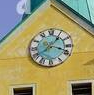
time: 1:18
